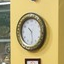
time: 10:28
